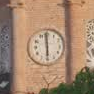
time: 5:59
